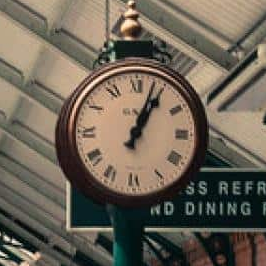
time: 1:03
